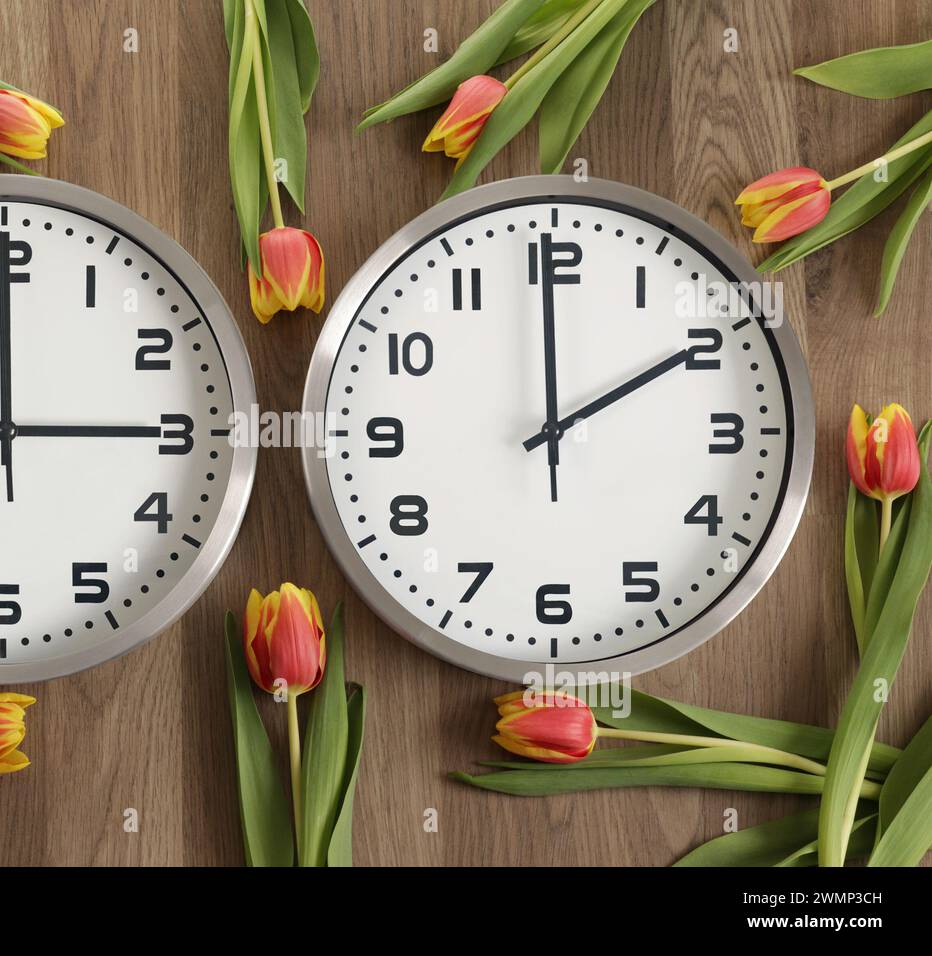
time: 1:59
